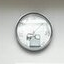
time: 7:07
